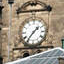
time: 1:36
